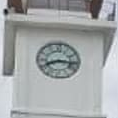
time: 8:16
